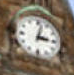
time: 3:02
